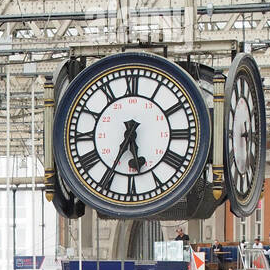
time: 5:34
